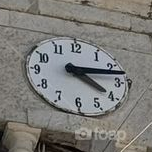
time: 4:12
